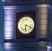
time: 6:18
